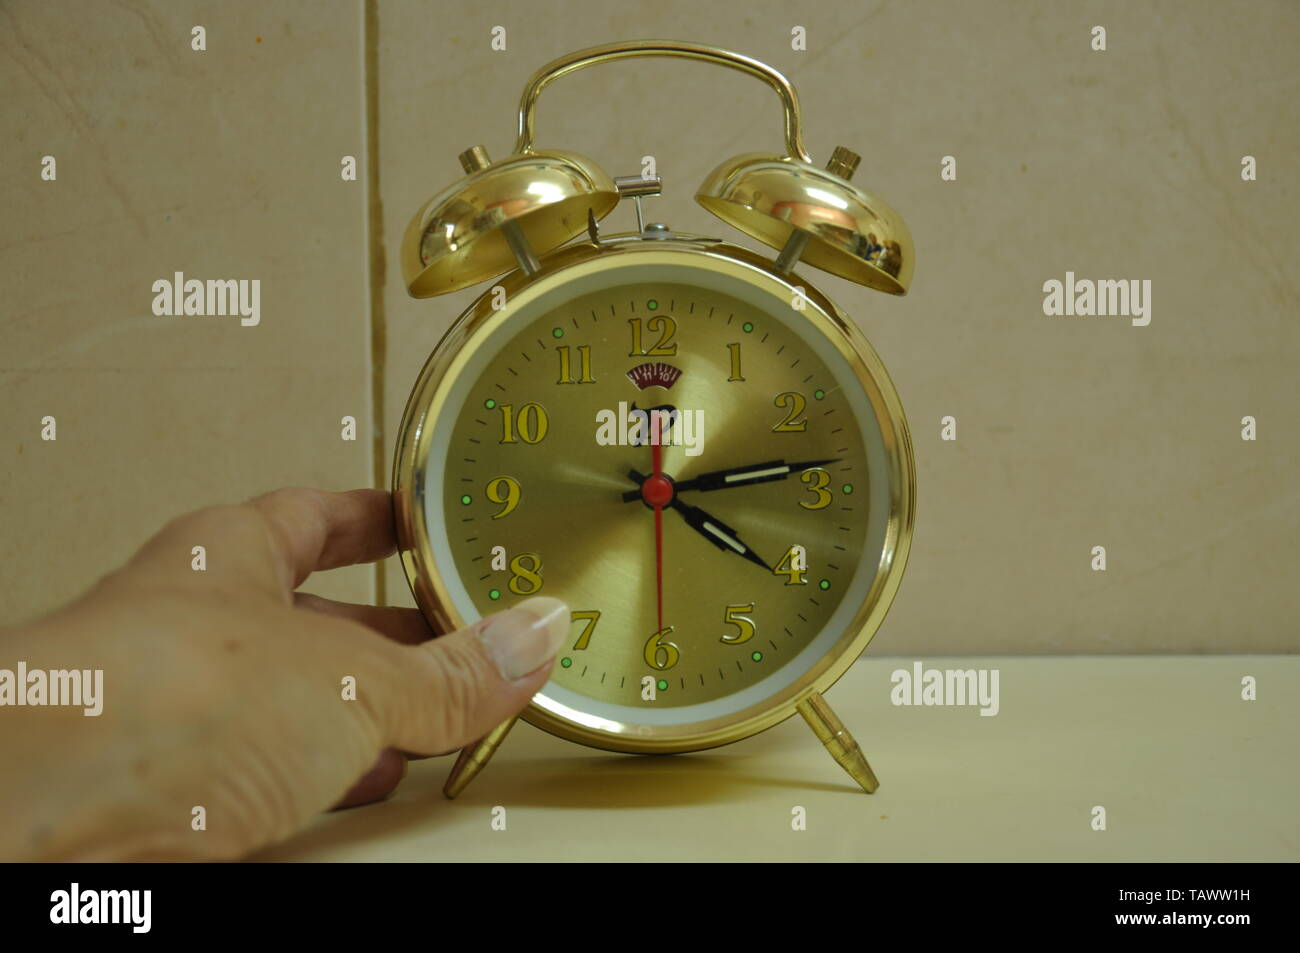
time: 4:13
